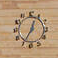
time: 12:34
